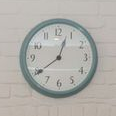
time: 12:39
